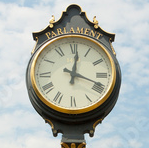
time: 12:18
